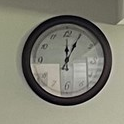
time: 12:04
